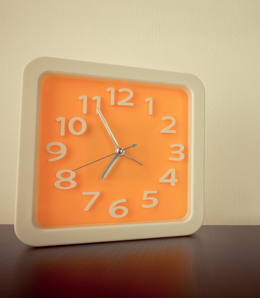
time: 6:55
